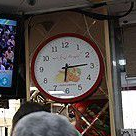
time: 6:14
